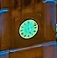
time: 5:12
